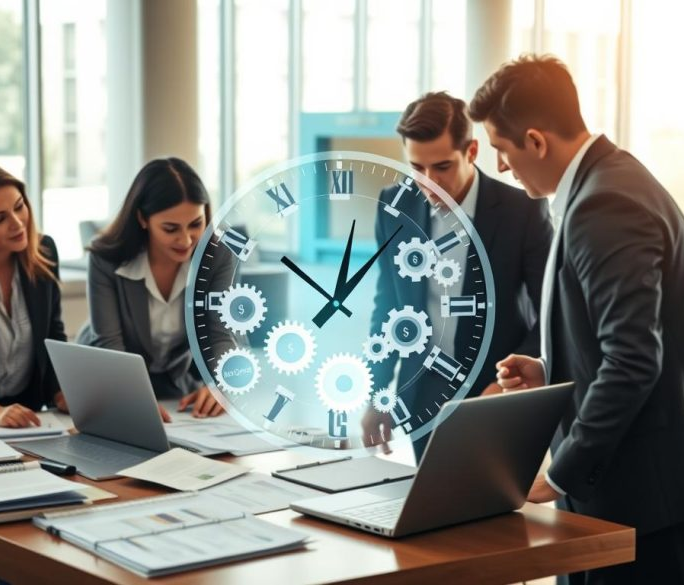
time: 12:07
